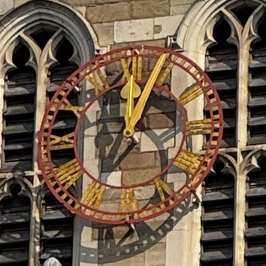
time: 12:04
